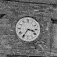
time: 3:35
